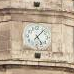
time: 5:06
